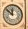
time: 11:51
